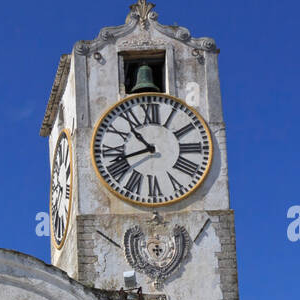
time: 10:41
